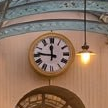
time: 11:46
